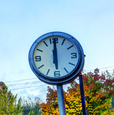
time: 6:00
